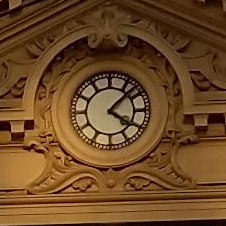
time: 4:07
